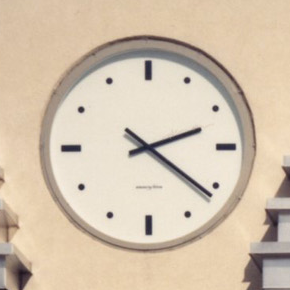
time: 2:21
